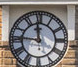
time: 11:46
